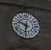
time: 9:32
